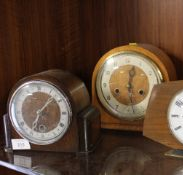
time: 7:07
